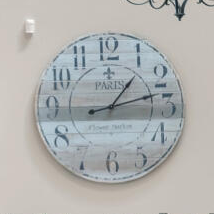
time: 1:12
